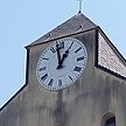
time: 12:58
